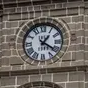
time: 1:20
